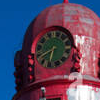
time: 6:40
